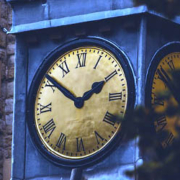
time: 1:51
